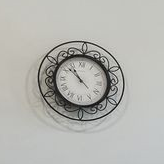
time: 10:52
